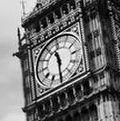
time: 11:30
